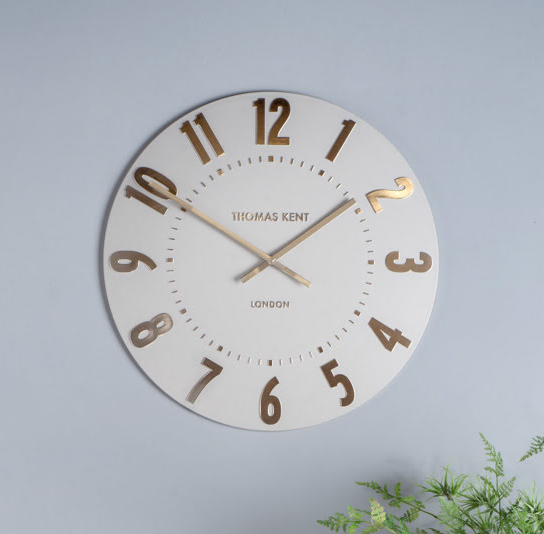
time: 1:50
